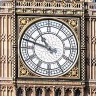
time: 10:47
